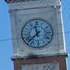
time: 11:37
